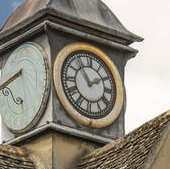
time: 1:54
